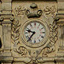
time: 9:36
